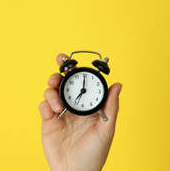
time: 7:00
